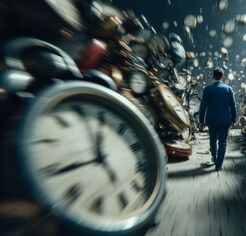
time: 11:39
